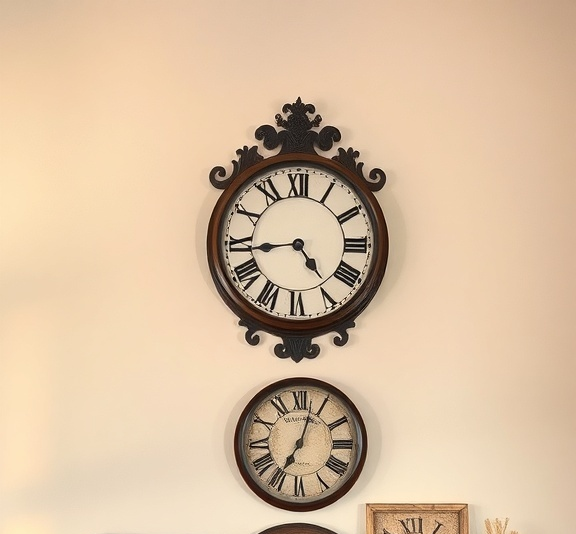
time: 4:44
